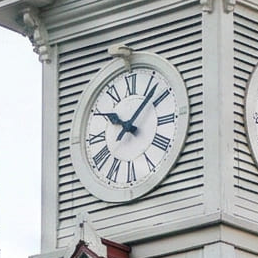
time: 10:07
